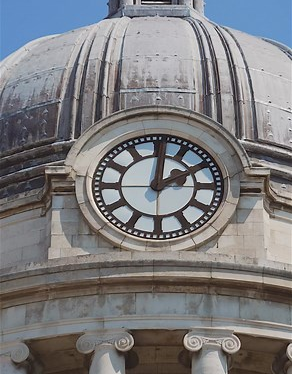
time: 2:01
